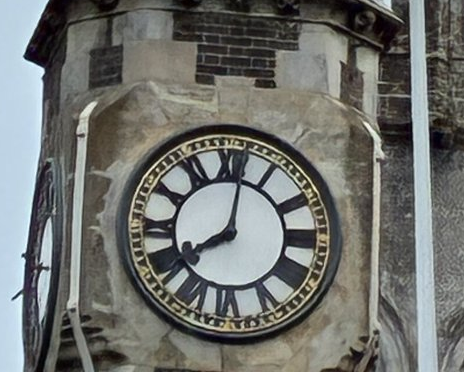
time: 8:01
